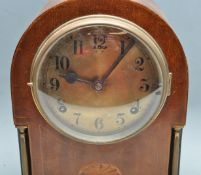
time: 9:06
